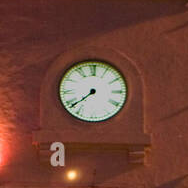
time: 7:38
